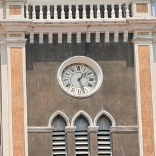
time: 1:26
